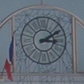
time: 3:10
